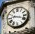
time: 9:18
